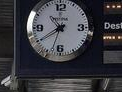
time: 10:39
